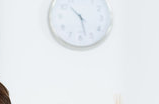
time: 10:27
